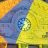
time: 9:36
